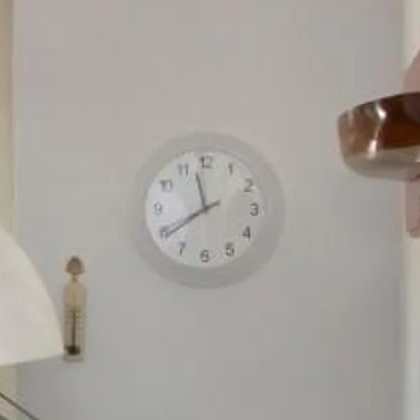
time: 11:39
